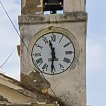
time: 11:30
